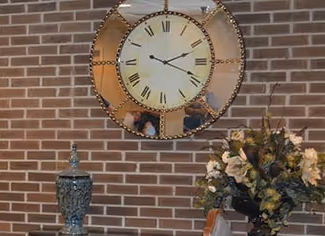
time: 2:18
